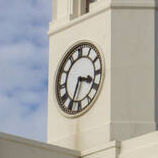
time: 3:34
